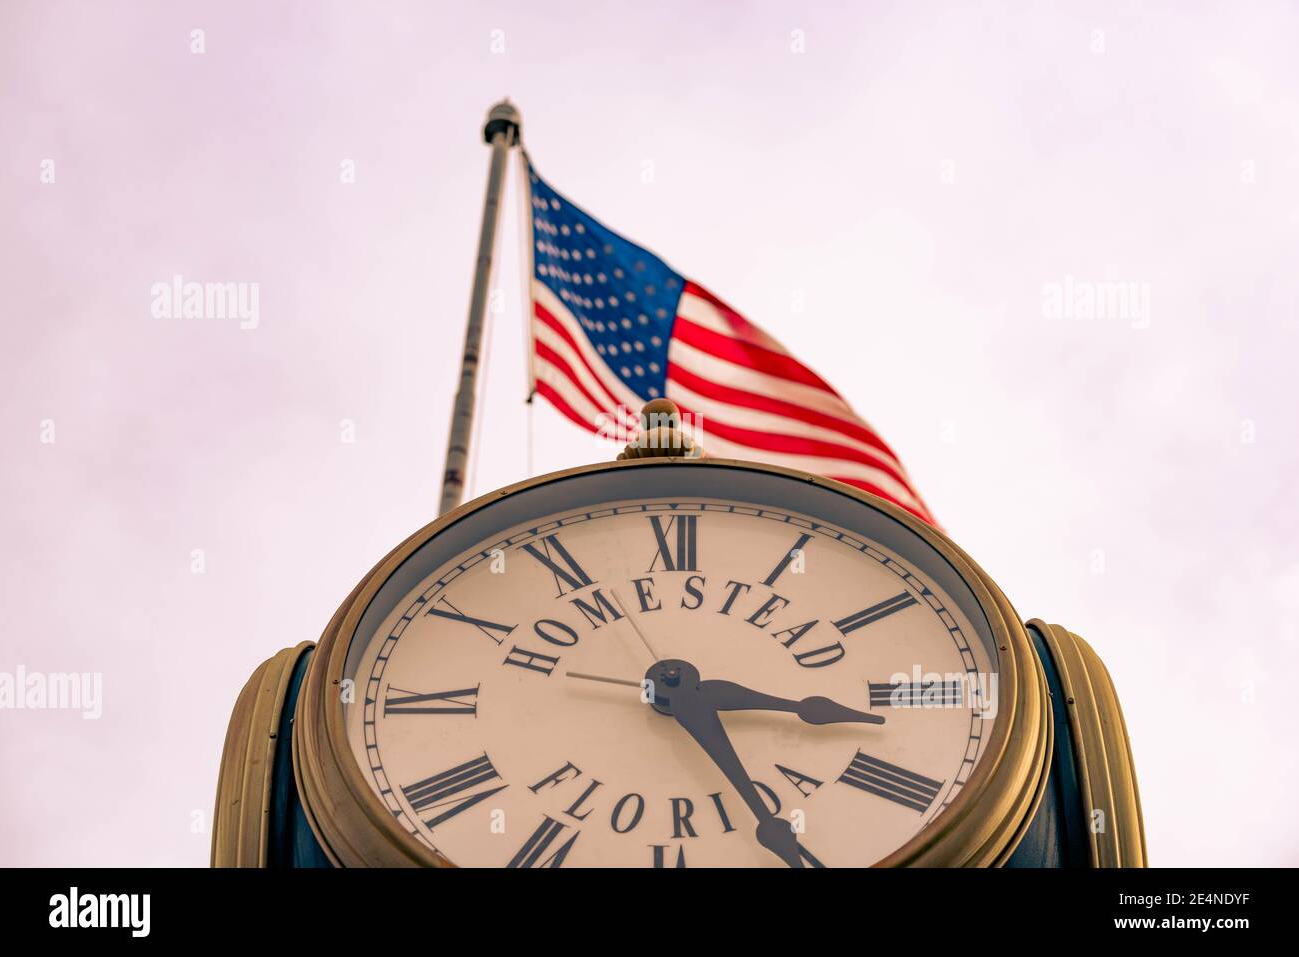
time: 3:25
